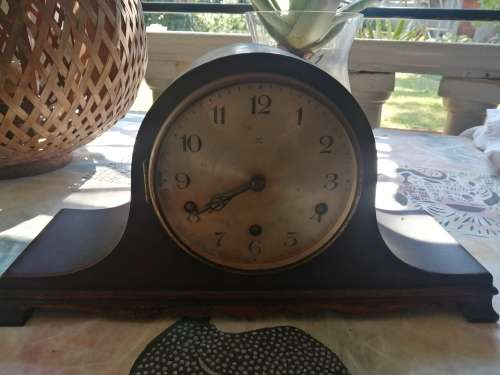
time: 7:40
